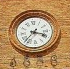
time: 3:37
